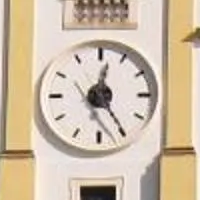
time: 12:24
